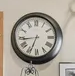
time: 6:44
